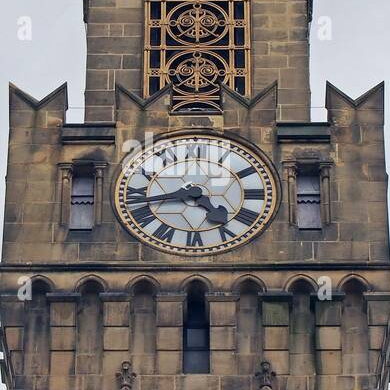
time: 4:42
